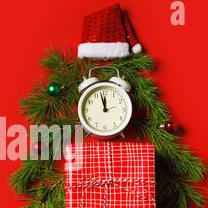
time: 11:57
